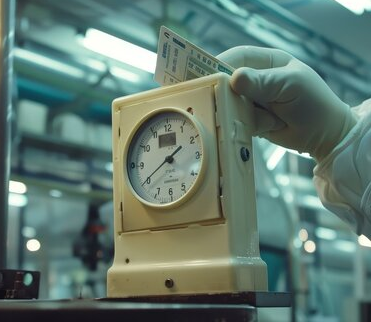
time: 1:39
